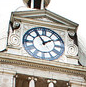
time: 1:54
